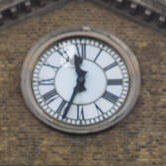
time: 11:33
